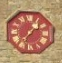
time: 1:36
